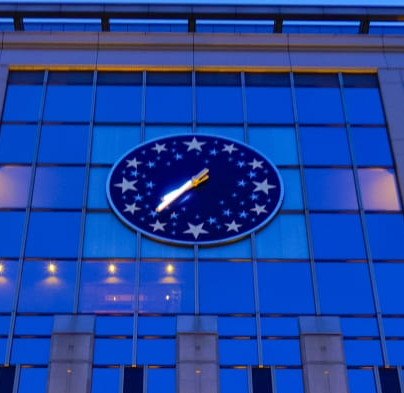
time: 7:36
